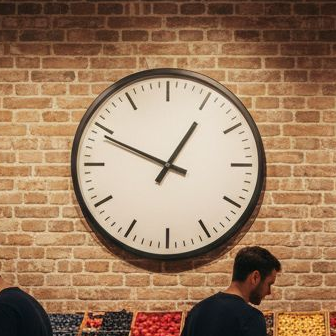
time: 12:49
